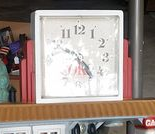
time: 4:49
